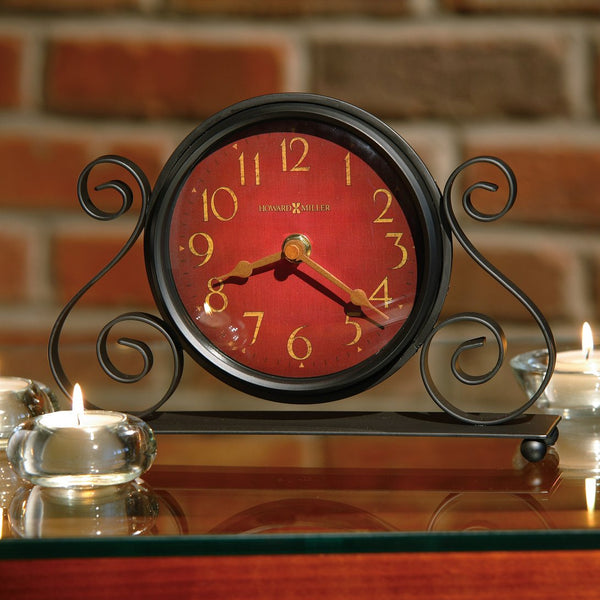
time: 8:21
